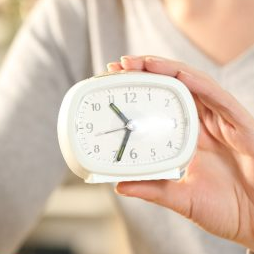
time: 10:33
